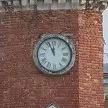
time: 11:56
